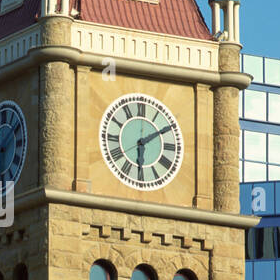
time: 6:09
